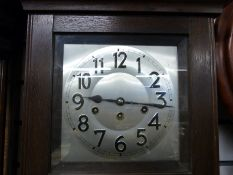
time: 9:16
